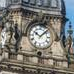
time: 10:07
